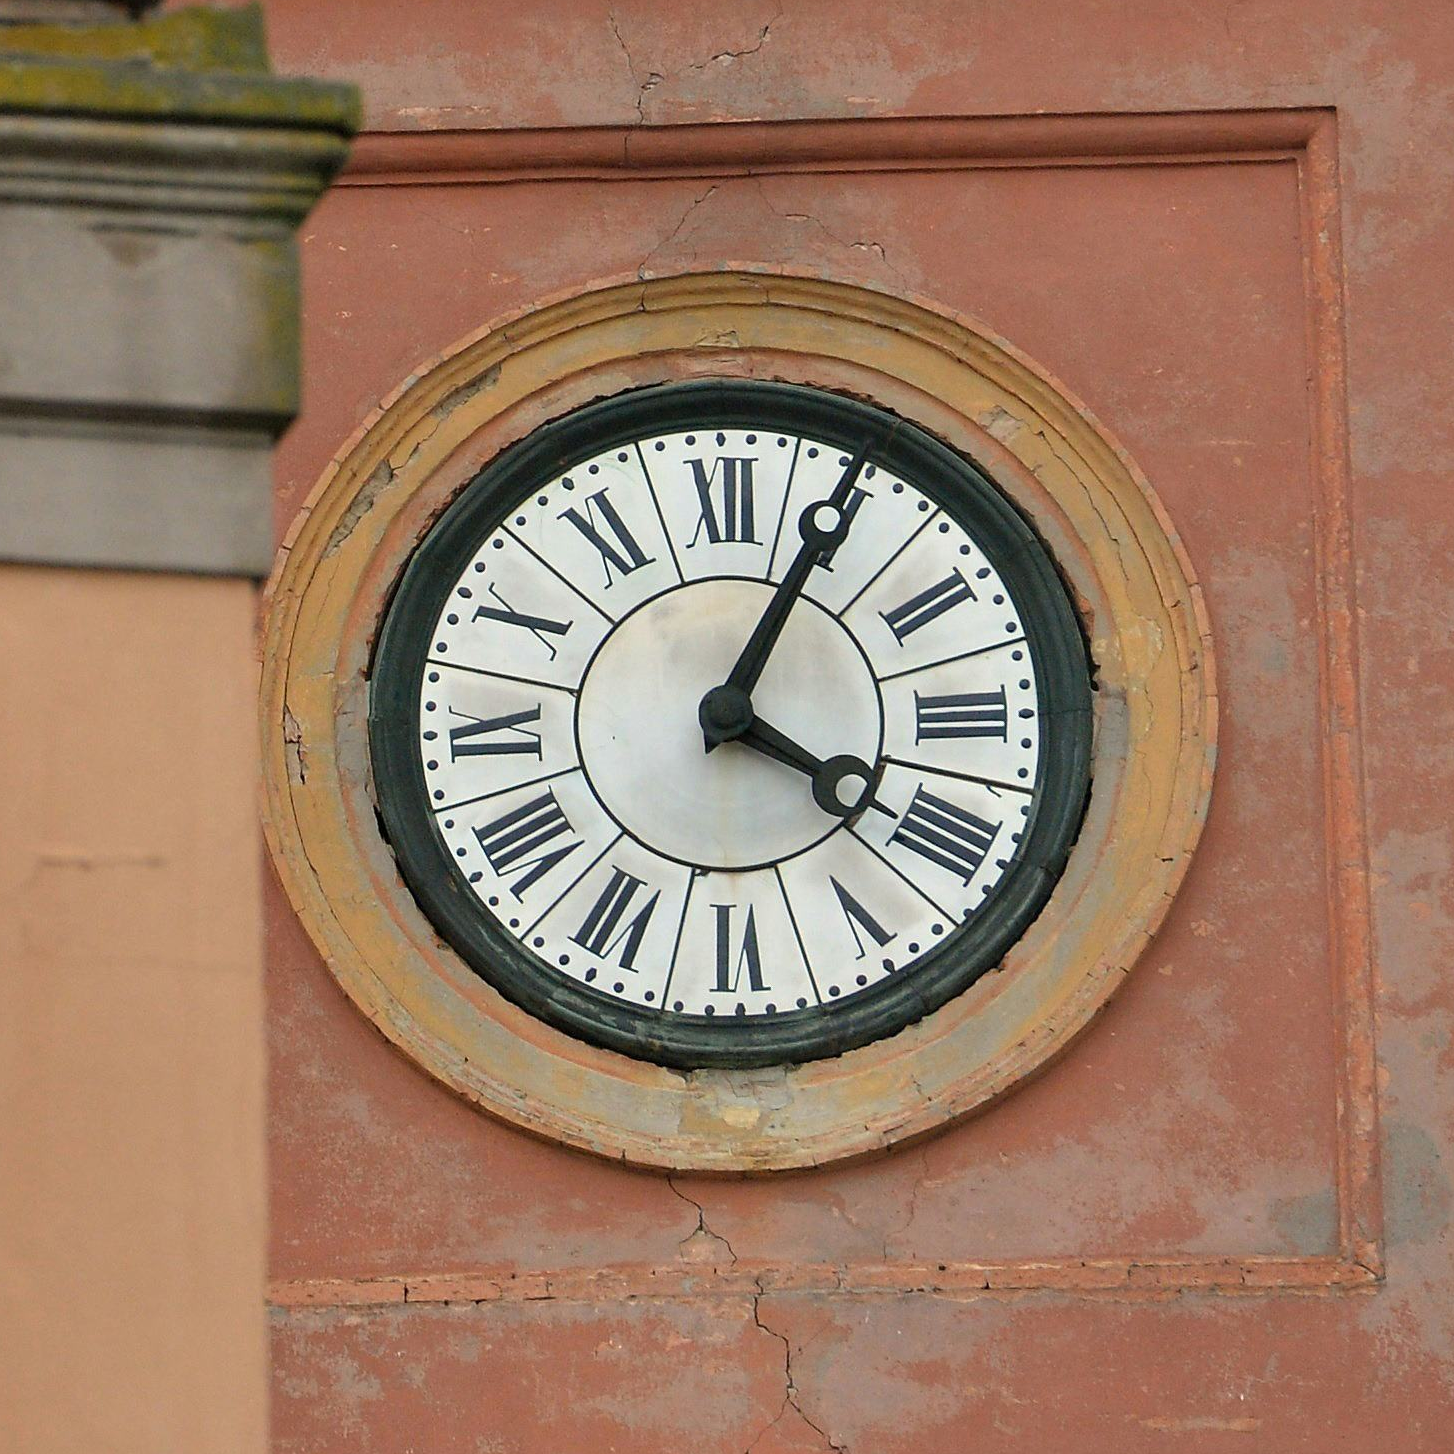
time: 4:04
